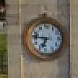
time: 6:46
